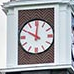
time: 10:00
